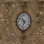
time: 10:34
